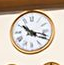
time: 10:17
